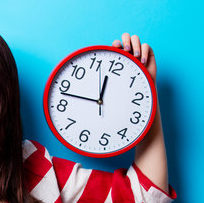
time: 11:42
